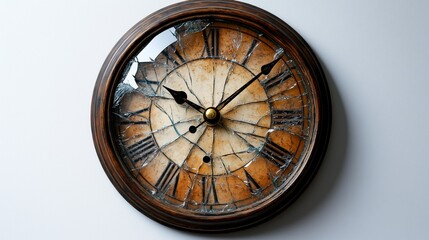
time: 10:07
